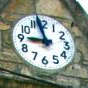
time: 8:57
